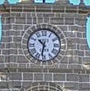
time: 10:32
